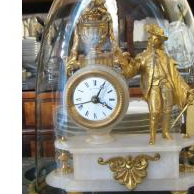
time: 4:04
